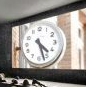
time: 4:27
